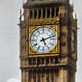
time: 5:11
